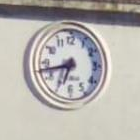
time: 6:42
